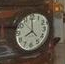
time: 7:59
